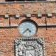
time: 4:36
